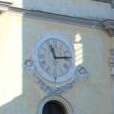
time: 11:13
